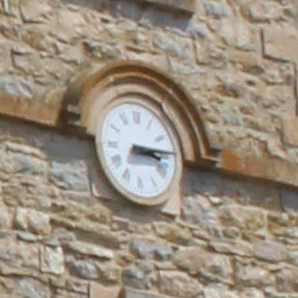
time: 3:14
